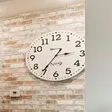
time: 2:35
